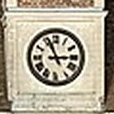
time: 2:56
